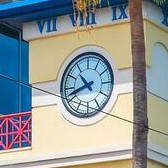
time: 10:41
